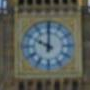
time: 10:00
